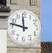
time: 11:47
